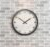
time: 1:51
